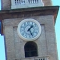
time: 1:26
